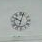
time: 10:02
